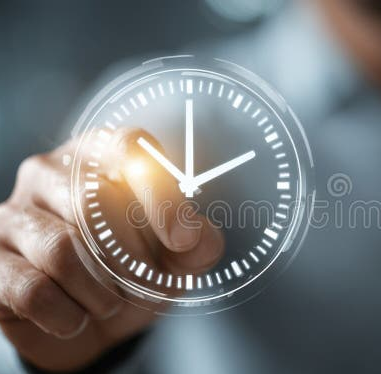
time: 2:00
